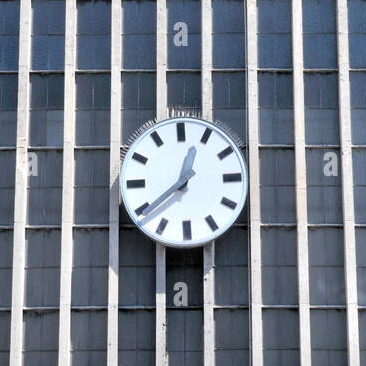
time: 12:39
